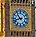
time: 10:42
